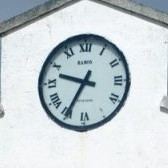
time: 9:34
